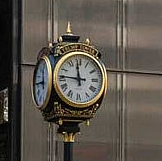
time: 11:46
